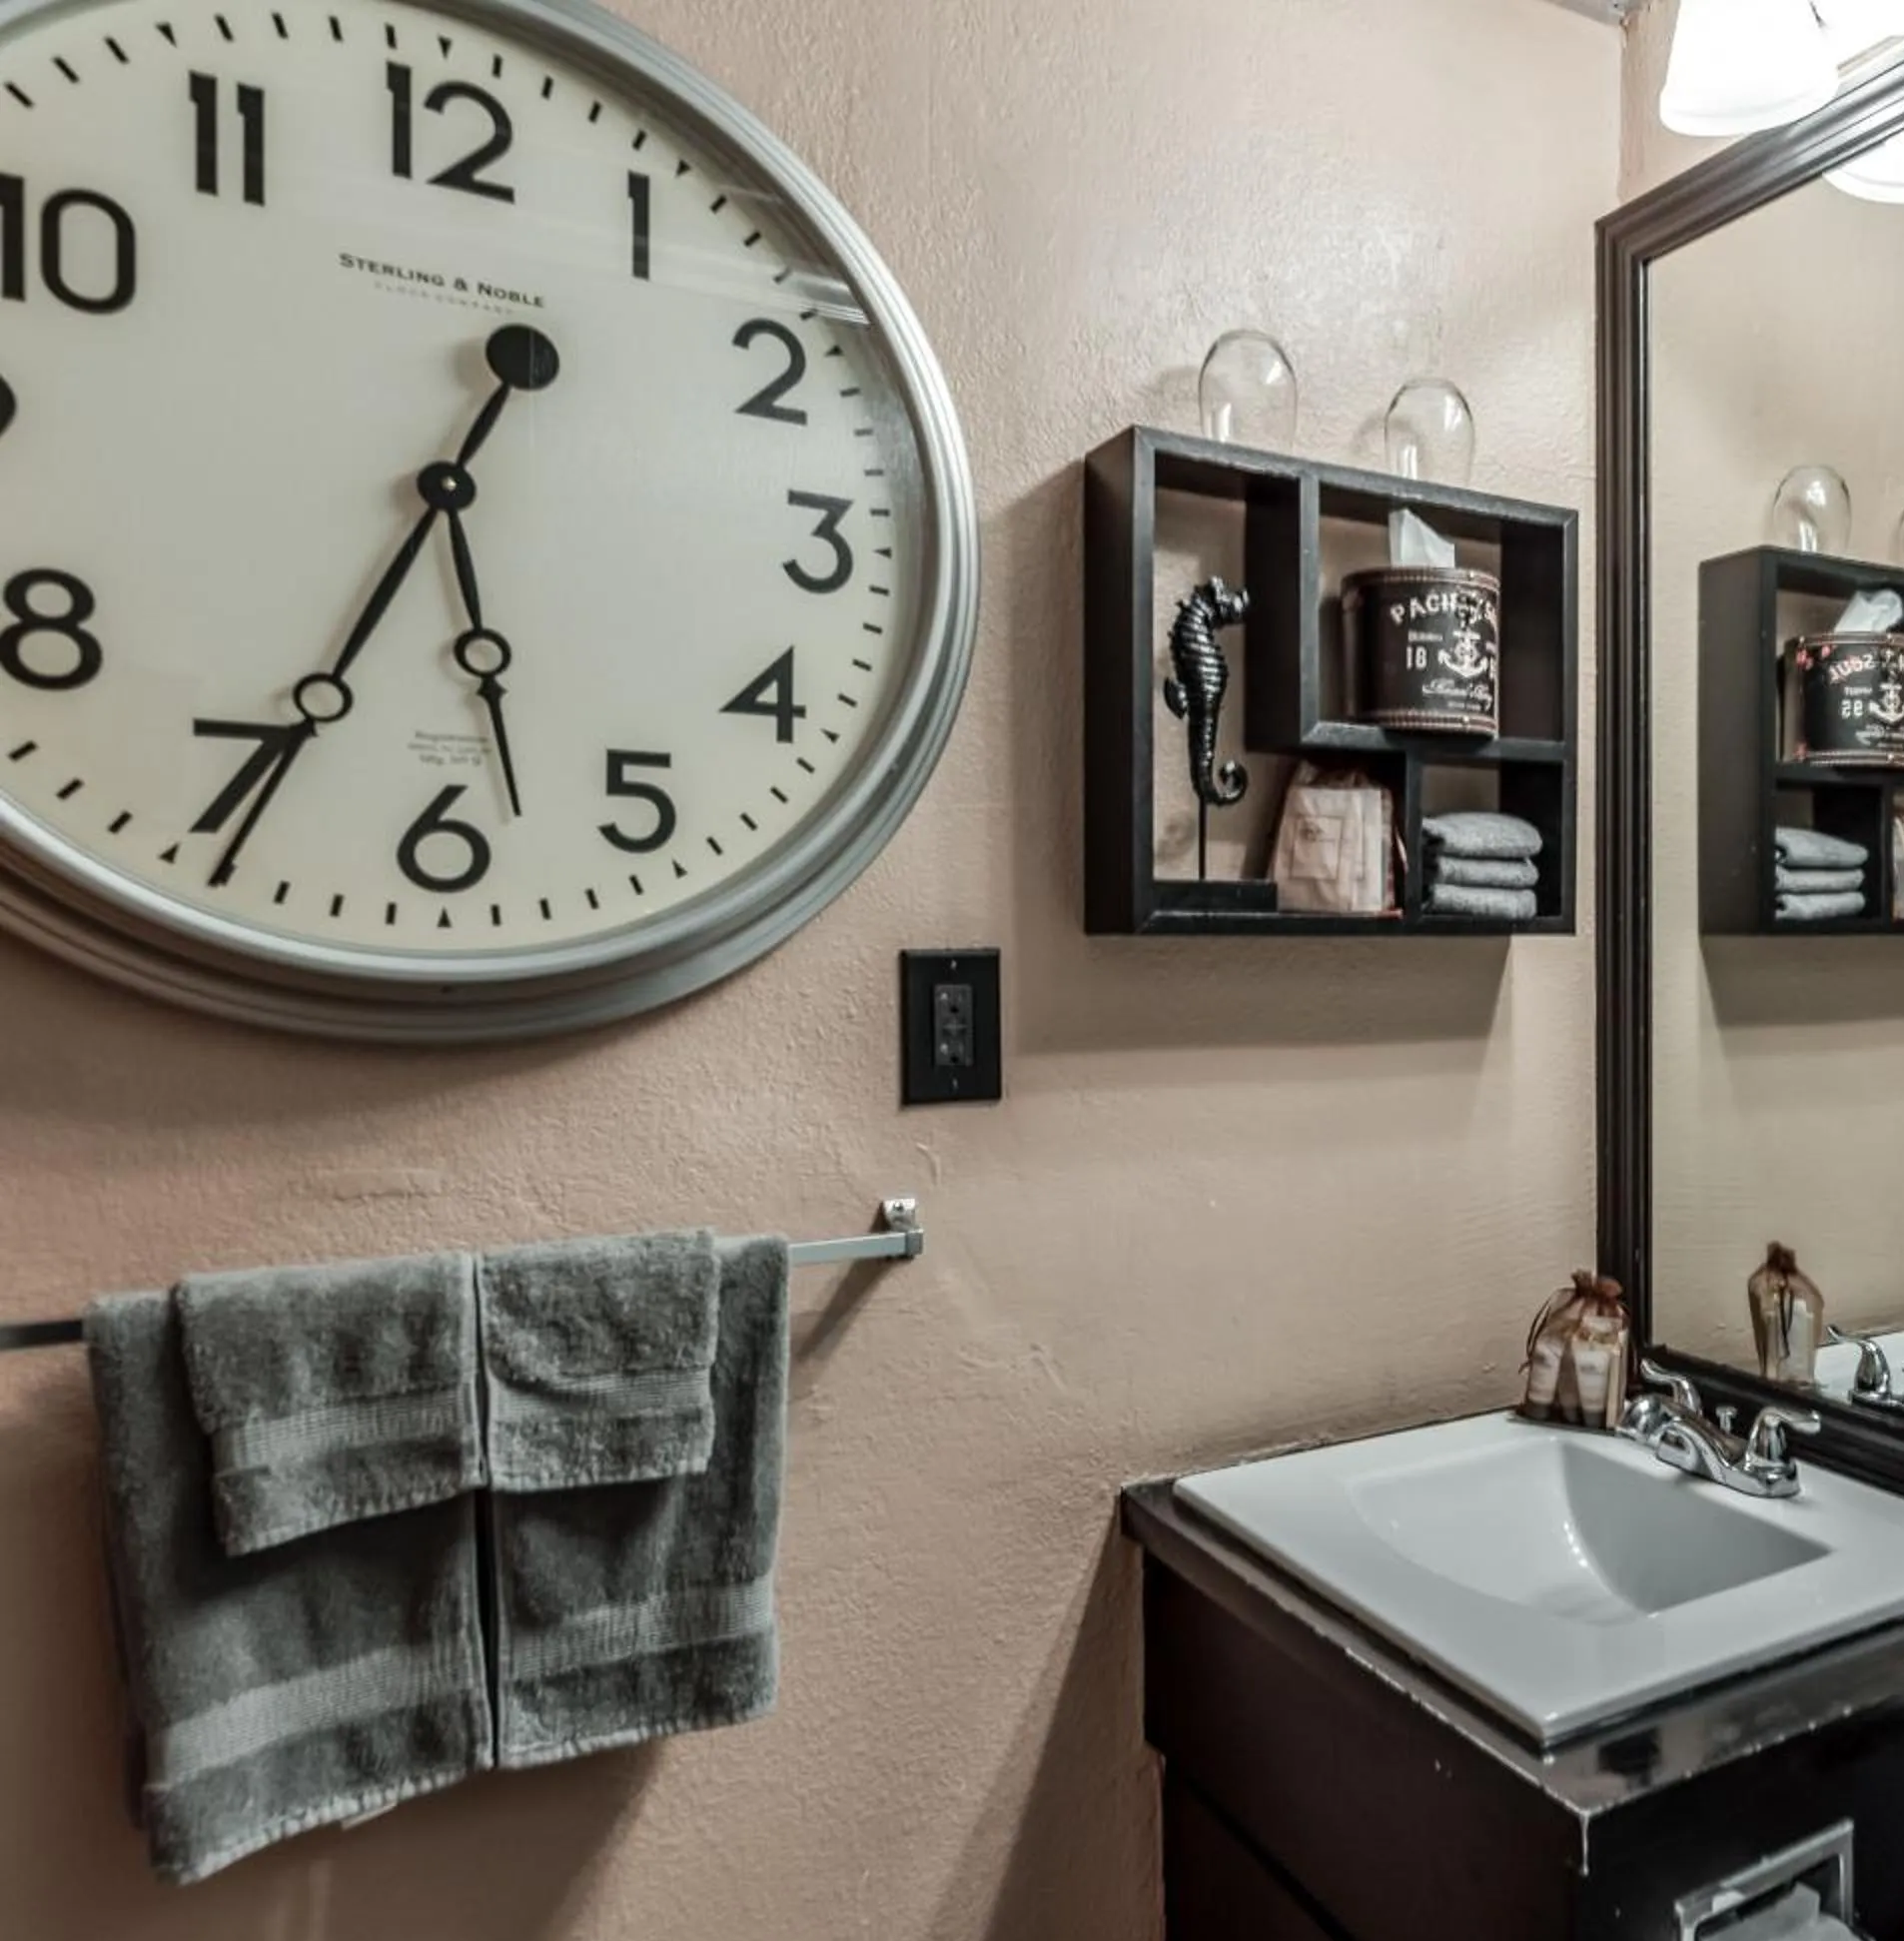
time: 5:34
